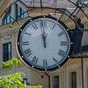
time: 11:58
